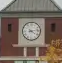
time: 4:13
